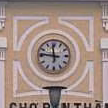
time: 11:46
